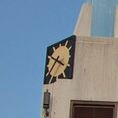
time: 7:20
